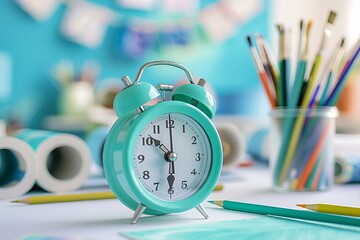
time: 10:30
